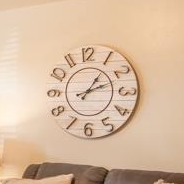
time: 1:11
